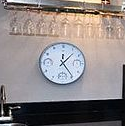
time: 1:24
